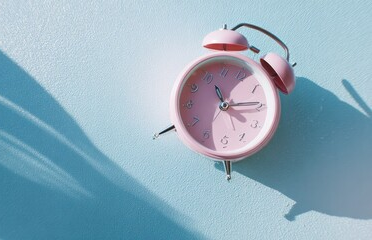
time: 4:14
